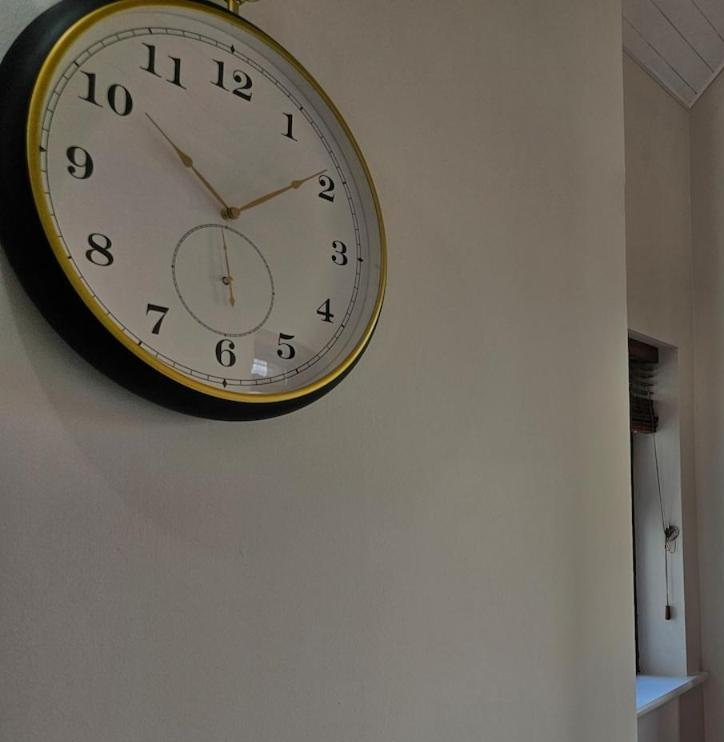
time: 10:09
